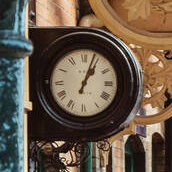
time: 1:03
